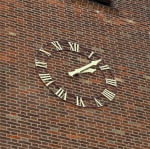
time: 2:07
